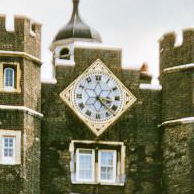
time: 3:22
